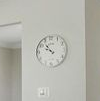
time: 9:53
